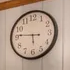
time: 5:46
